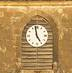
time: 4:58
